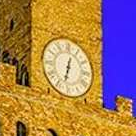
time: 12:32
